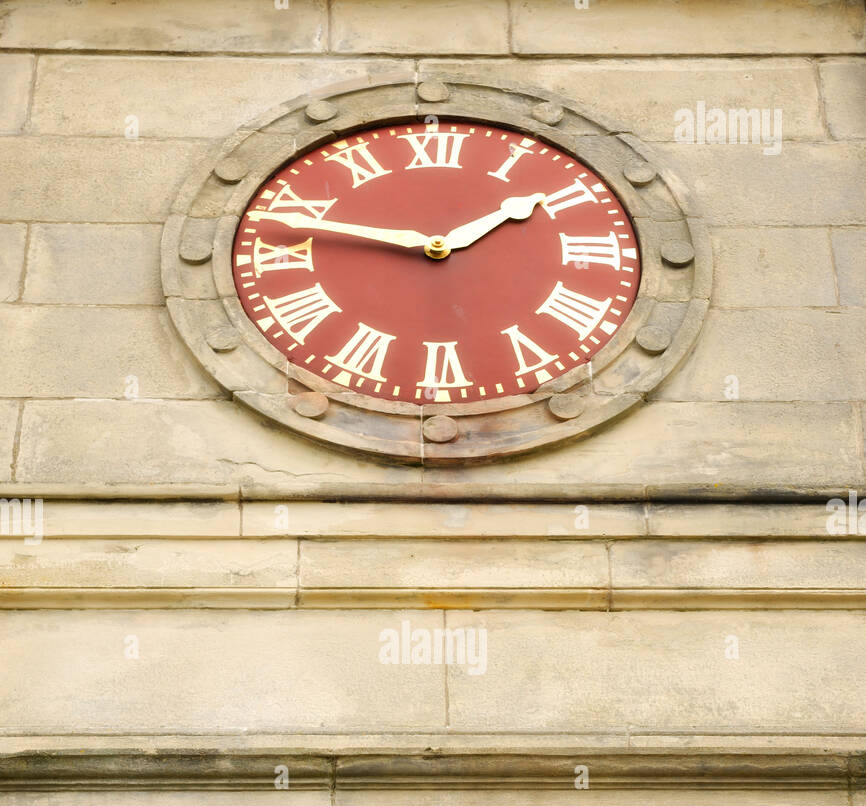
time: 1:47
